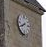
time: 7:40
